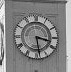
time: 3:28
